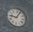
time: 9:05
